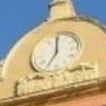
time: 7:00
